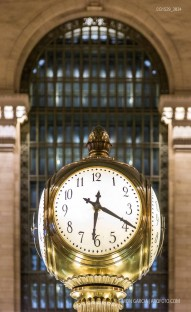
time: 6:19
